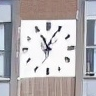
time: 11:04
